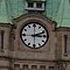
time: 3:11
